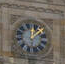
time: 12:07
